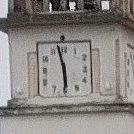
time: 5:57
